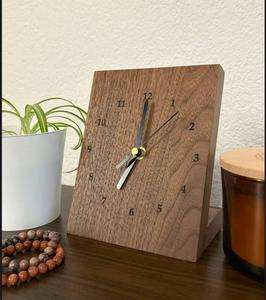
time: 7:00
